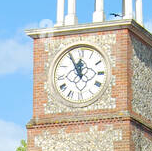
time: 11:55
